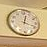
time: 12:18
